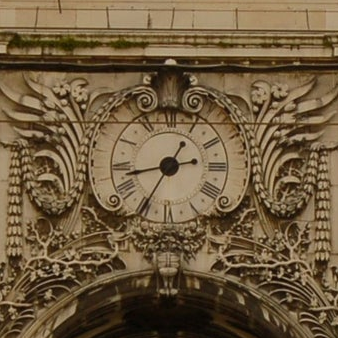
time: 8:35
